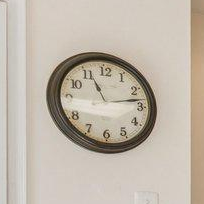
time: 11:13
